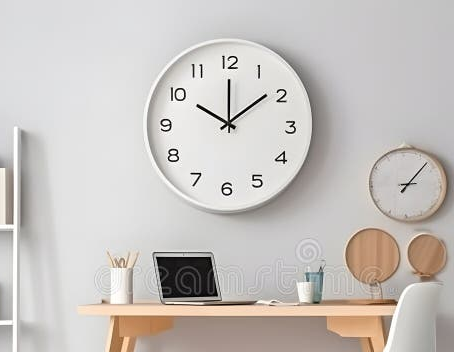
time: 10:08
